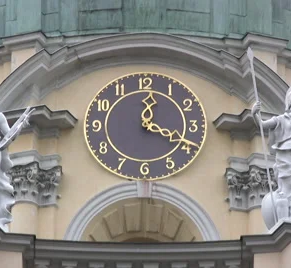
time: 12:19
